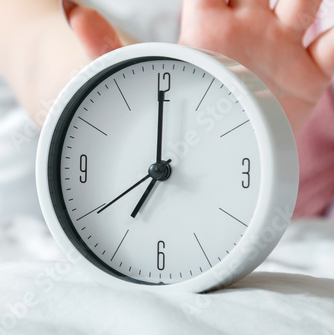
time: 6:59
